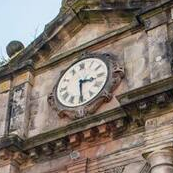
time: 3:29
